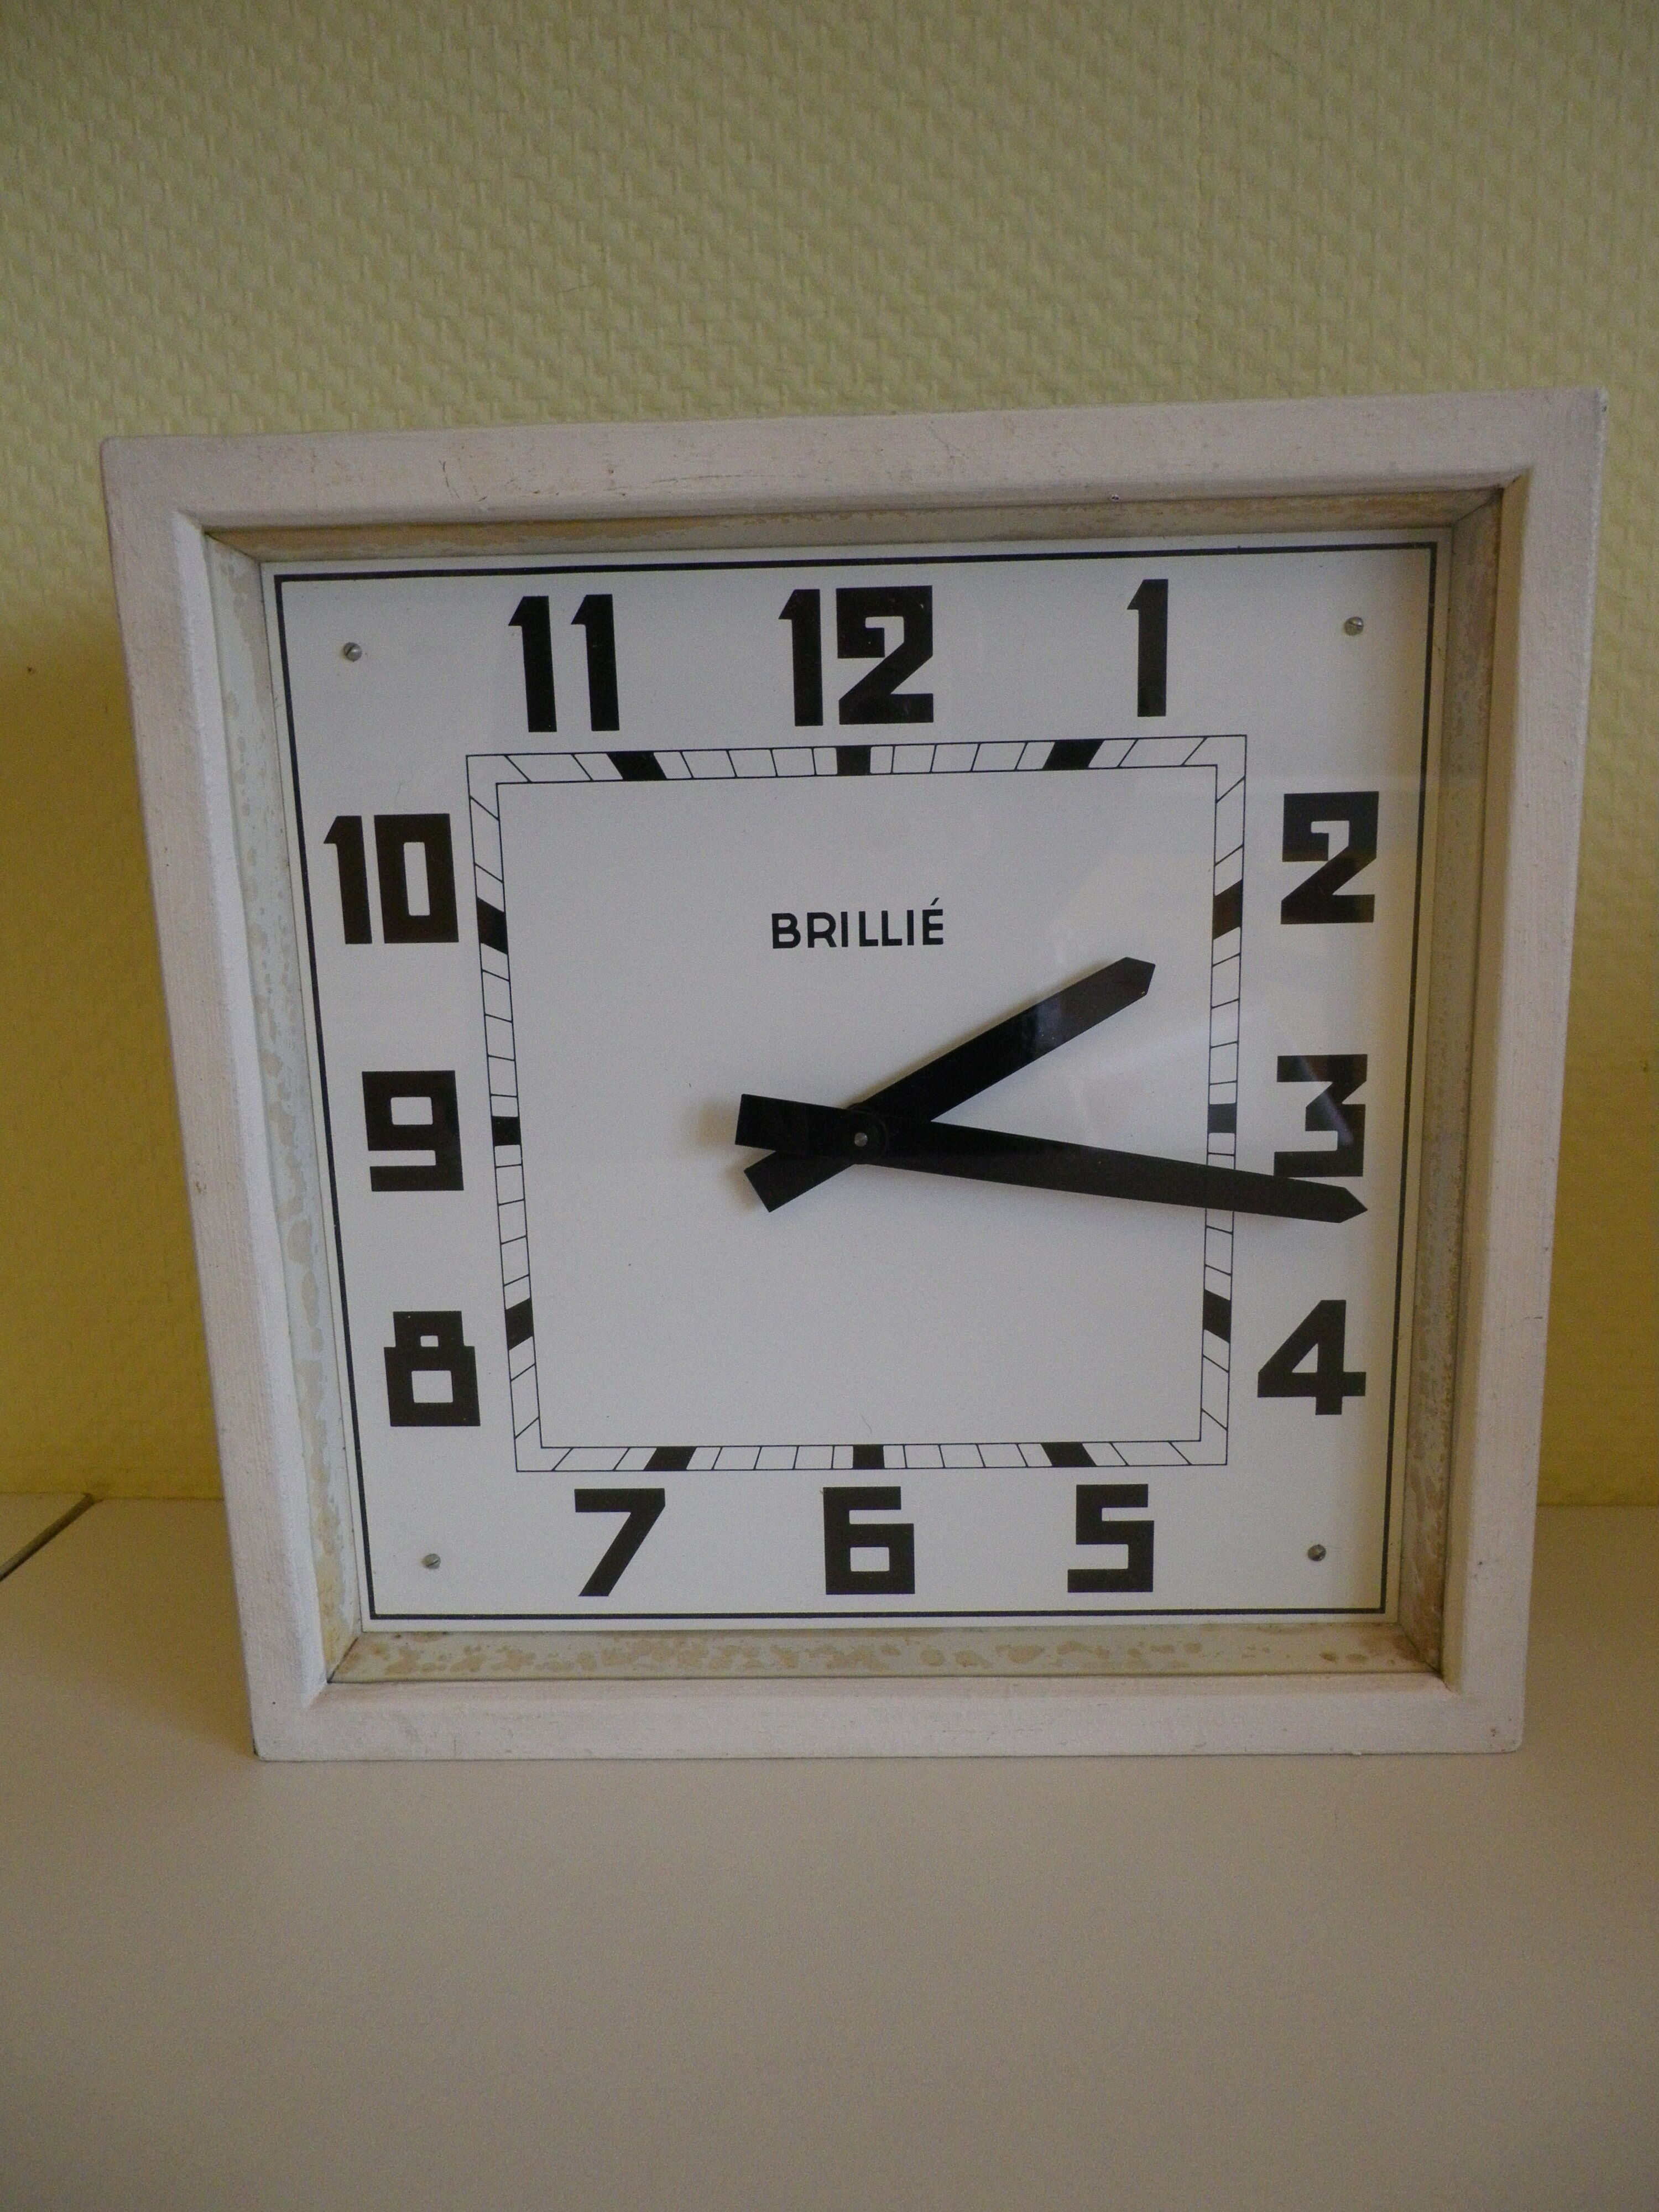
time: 2:16
